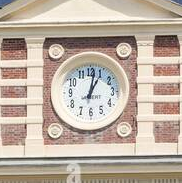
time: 1:01
